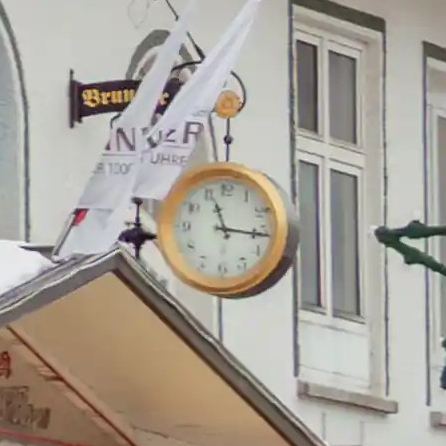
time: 11:16
